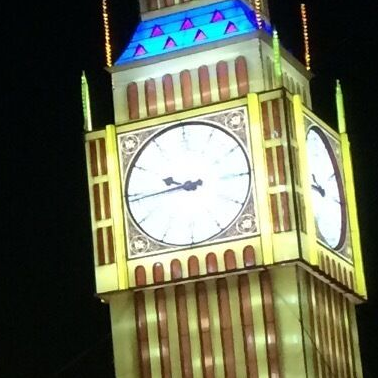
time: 9:44
